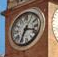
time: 3:34
